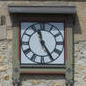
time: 11:24
